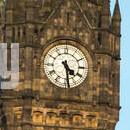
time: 4:28
